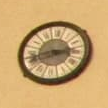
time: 2:42
